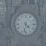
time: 4:32
